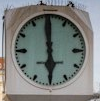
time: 5:59
